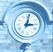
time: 3:02
